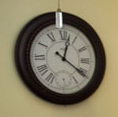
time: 12:20
